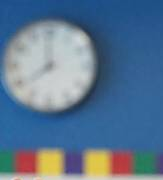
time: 7:59
